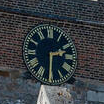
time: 2:30
